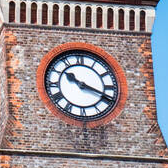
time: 10:18
